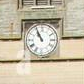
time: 10:55
